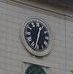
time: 12:32
